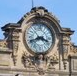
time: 3:40
